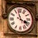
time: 3:57
